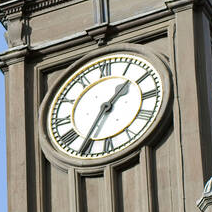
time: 1:35
